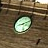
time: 8:11
